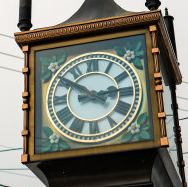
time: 2:50
